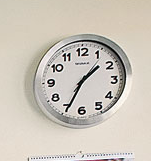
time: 1:34
